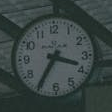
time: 3:35
